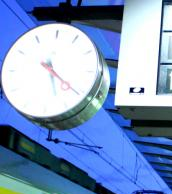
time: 5:21
